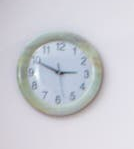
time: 2:49
